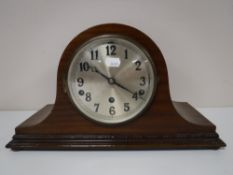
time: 10:20
